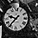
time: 9:36
